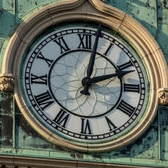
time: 2:02
